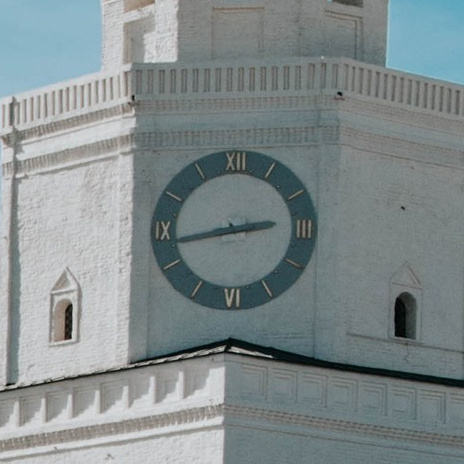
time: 2:43
